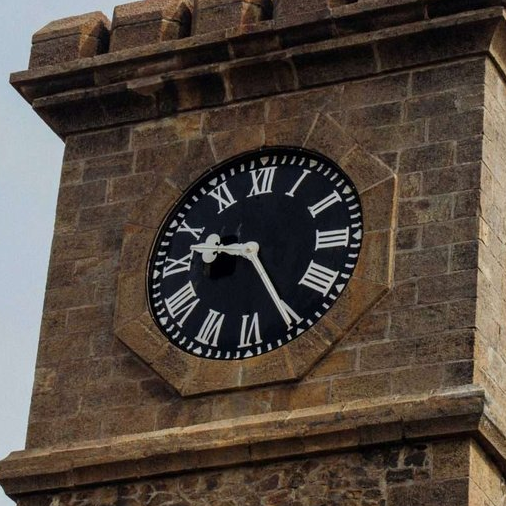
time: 9:25
